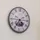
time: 4:35
